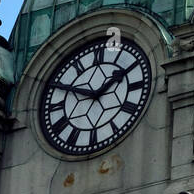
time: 1:49
